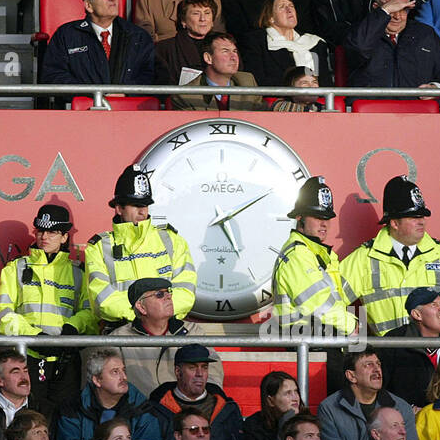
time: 5:09
